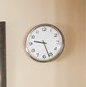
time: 9:26
